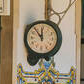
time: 11:53
